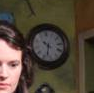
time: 10:32
